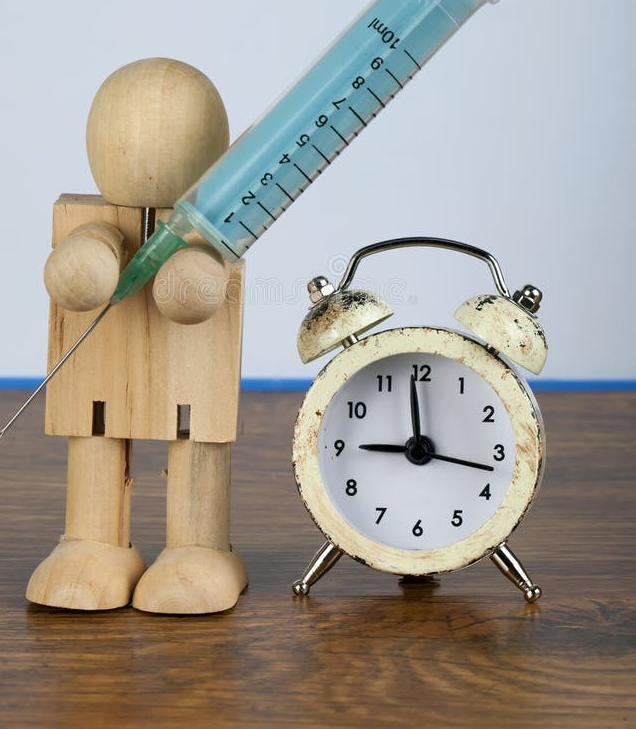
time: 8:59
